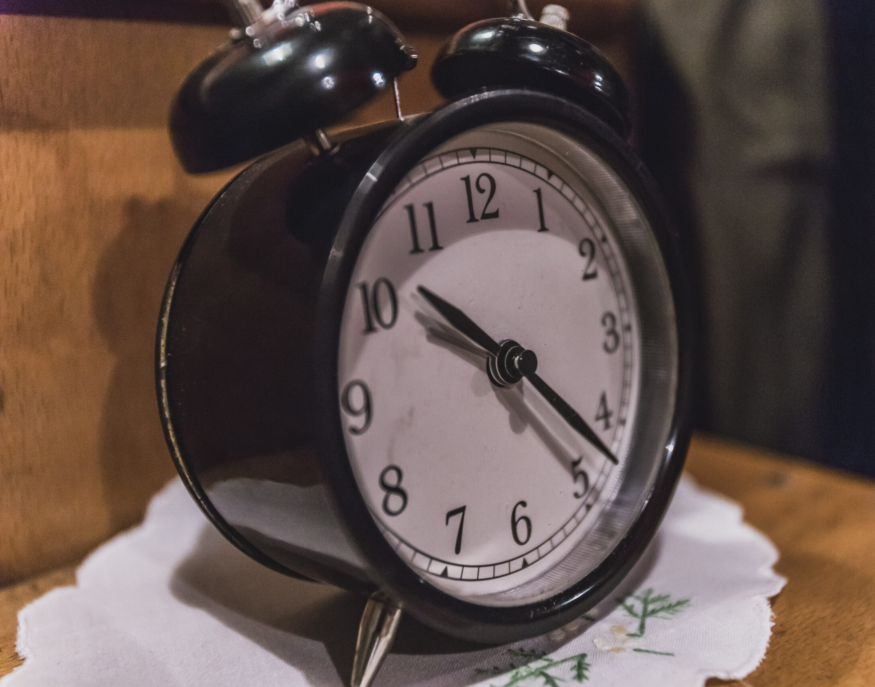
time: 10:22
